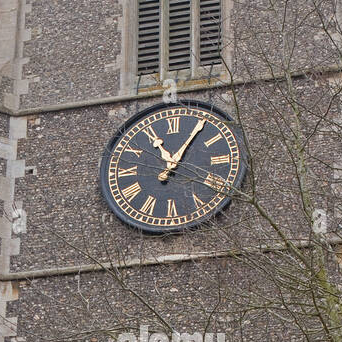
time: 11:05
